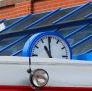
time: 10:59
